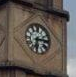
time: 6:14
